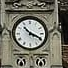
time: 3:52
